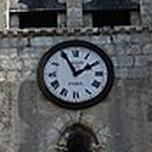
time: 1:55
